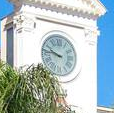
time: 9:45
